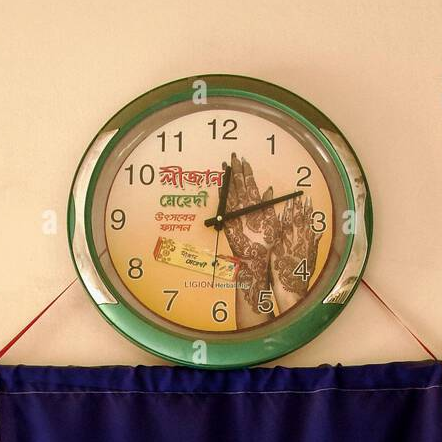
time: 12:11
